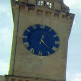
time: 12:22
